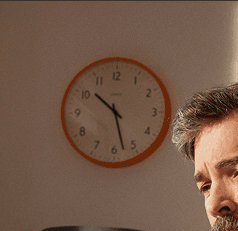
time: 10:27
